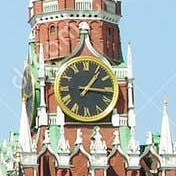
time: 1:16
